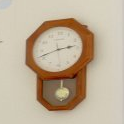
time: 2:42
